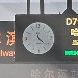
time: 11:21
